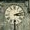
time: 3:12
